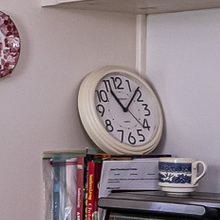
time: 11:07
